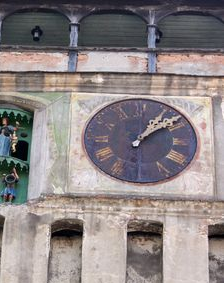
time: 1:08
